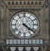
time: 4:21
